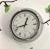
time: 12:42
